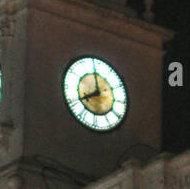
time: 7:58
